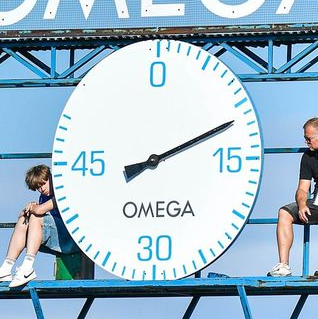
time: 2:11
